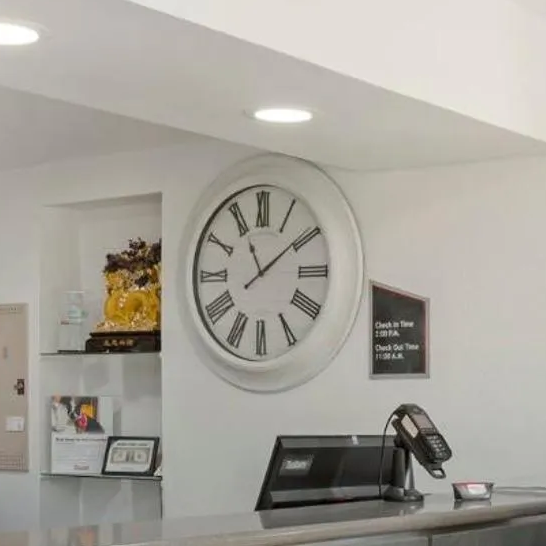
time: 11:09
